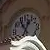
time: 12:53
